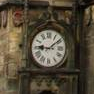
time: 9:08
